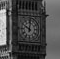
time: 10:00
